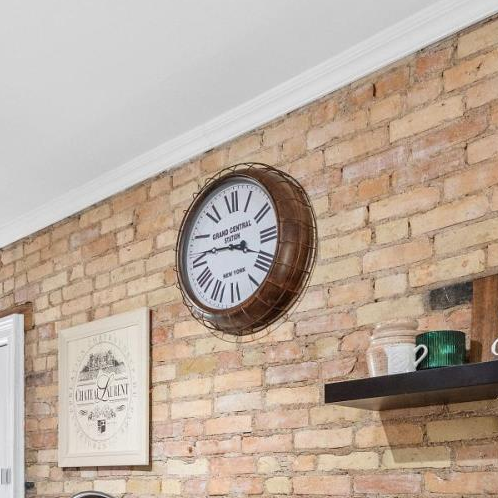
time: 3:46
